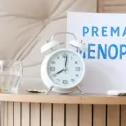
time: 8:01
